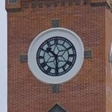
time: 10:28
